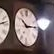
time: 10:13
